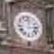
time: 12:13
